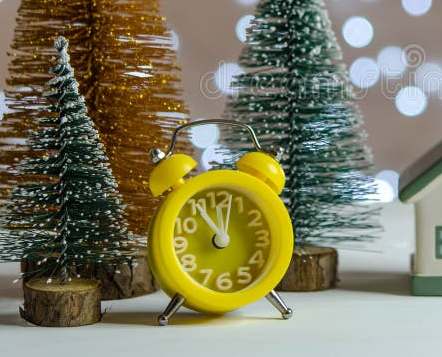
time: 11:02
